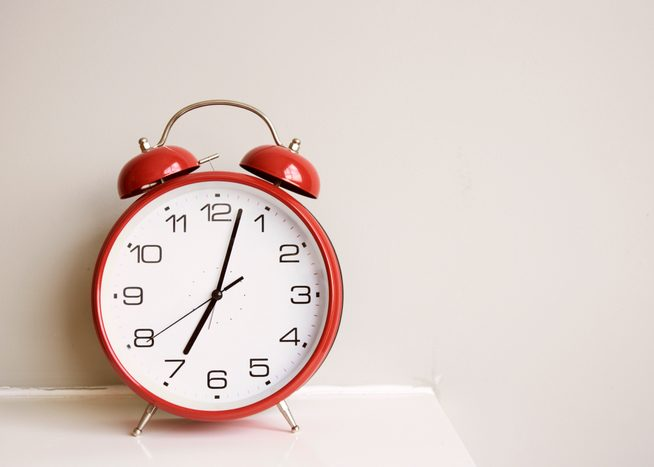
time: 7:02
